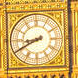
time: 8:40
